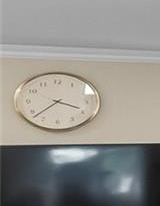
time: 3:37
